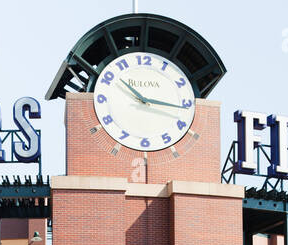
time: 10:16
